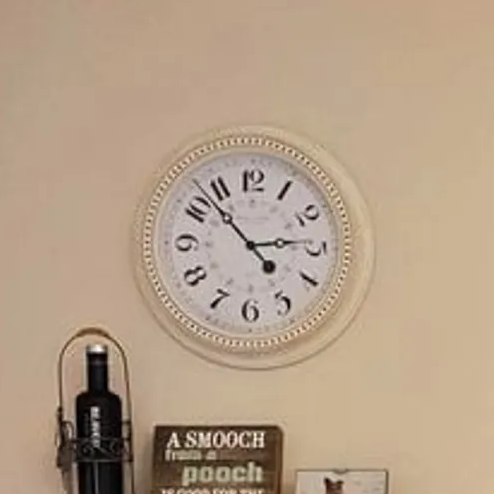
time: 2:52
